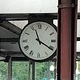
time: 11:20
